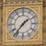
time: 1:36
